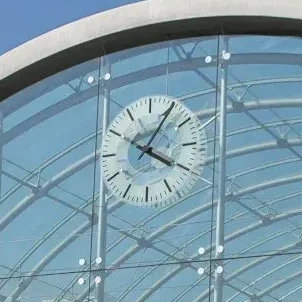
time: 4:05
